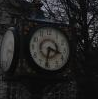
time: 3:32
